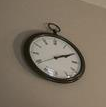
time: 2:10
